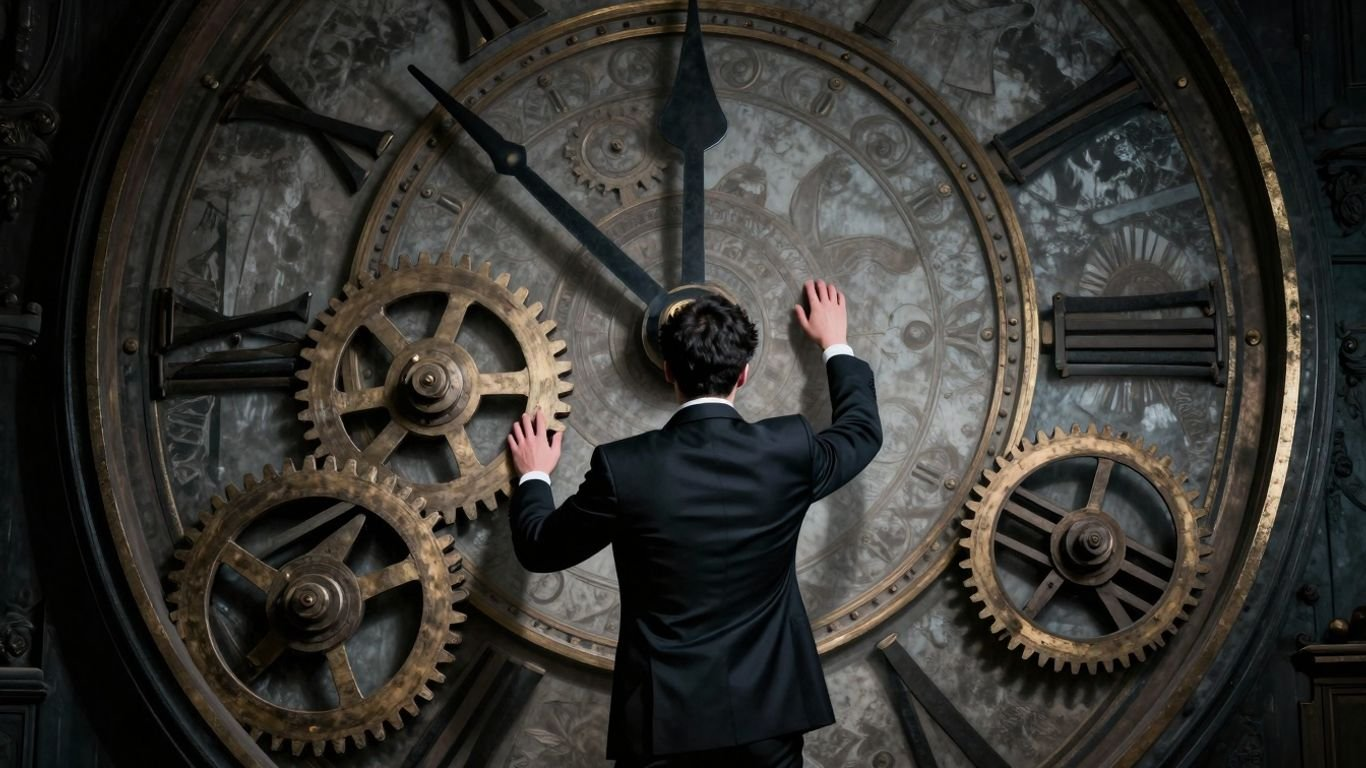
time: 11:52
